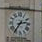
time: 2:36
